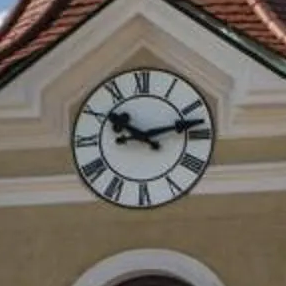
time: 10:12
